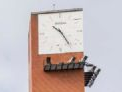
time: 10:24
